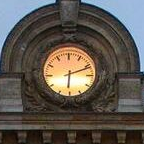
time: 6:11
